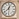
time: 12:38
